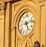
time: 5:12
